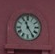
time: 11:24
